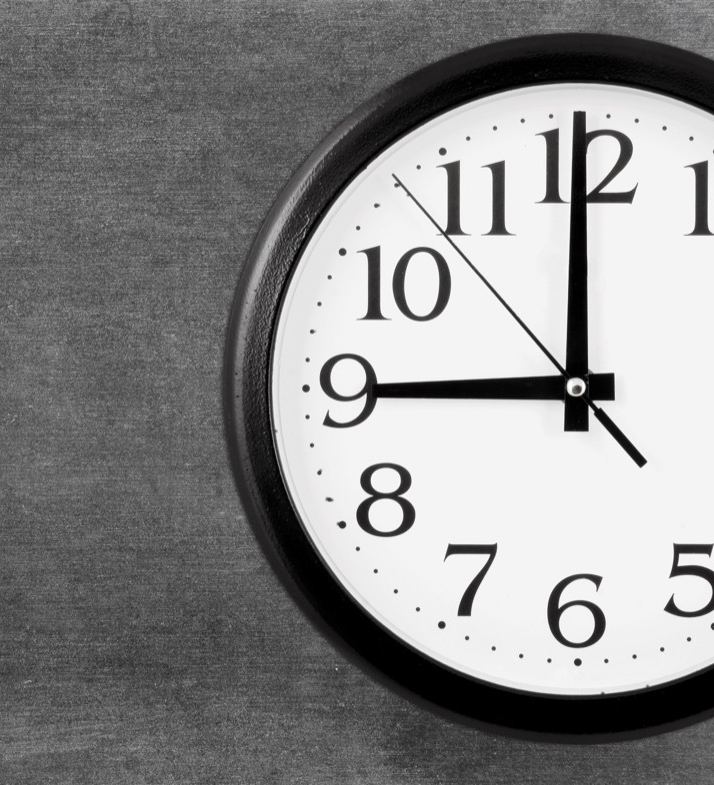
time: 8:59
